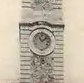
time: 11:07
